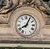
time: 8:04
